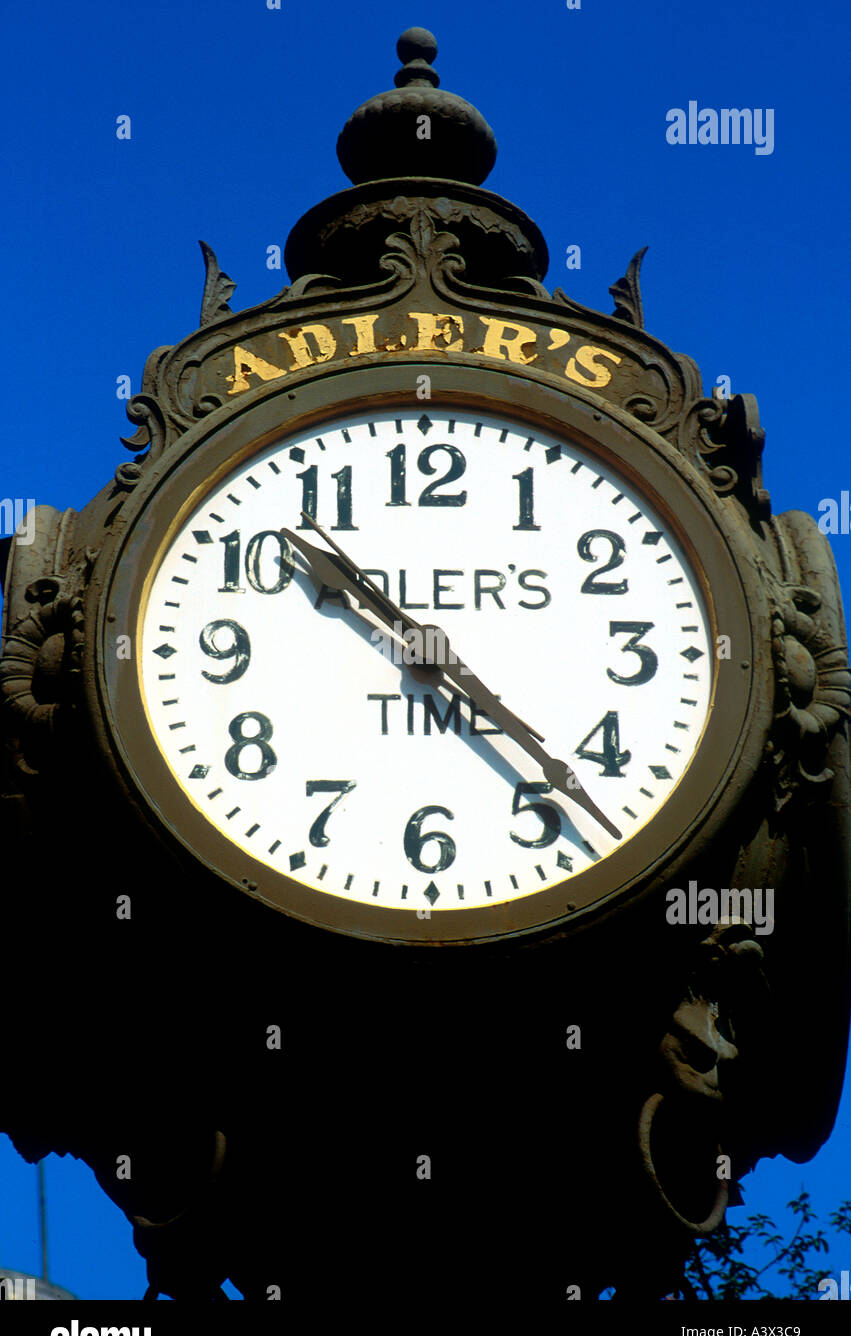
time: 10:22
